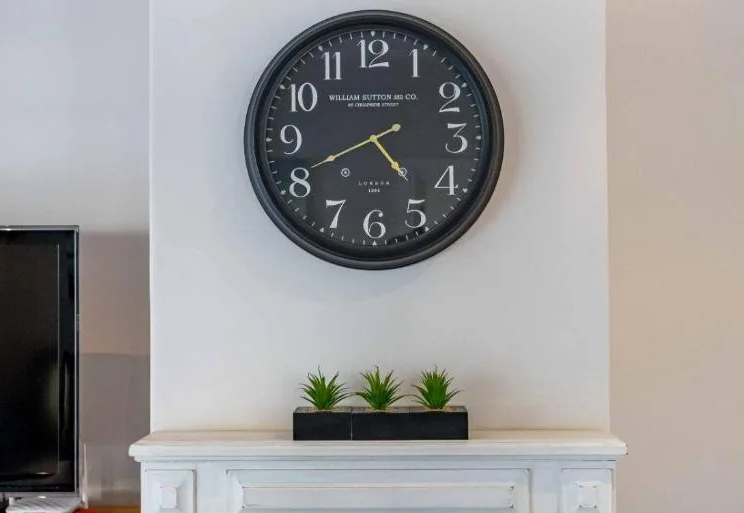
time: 4:40
